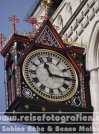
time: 11:14
